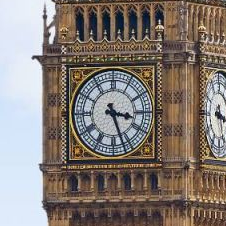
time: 3:26
